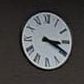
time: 3:19
